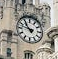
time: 10:47
